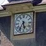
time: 5:36
